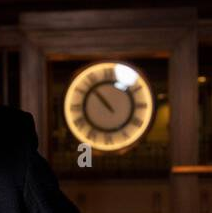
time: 10:53
